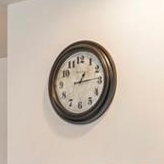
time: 1:13
